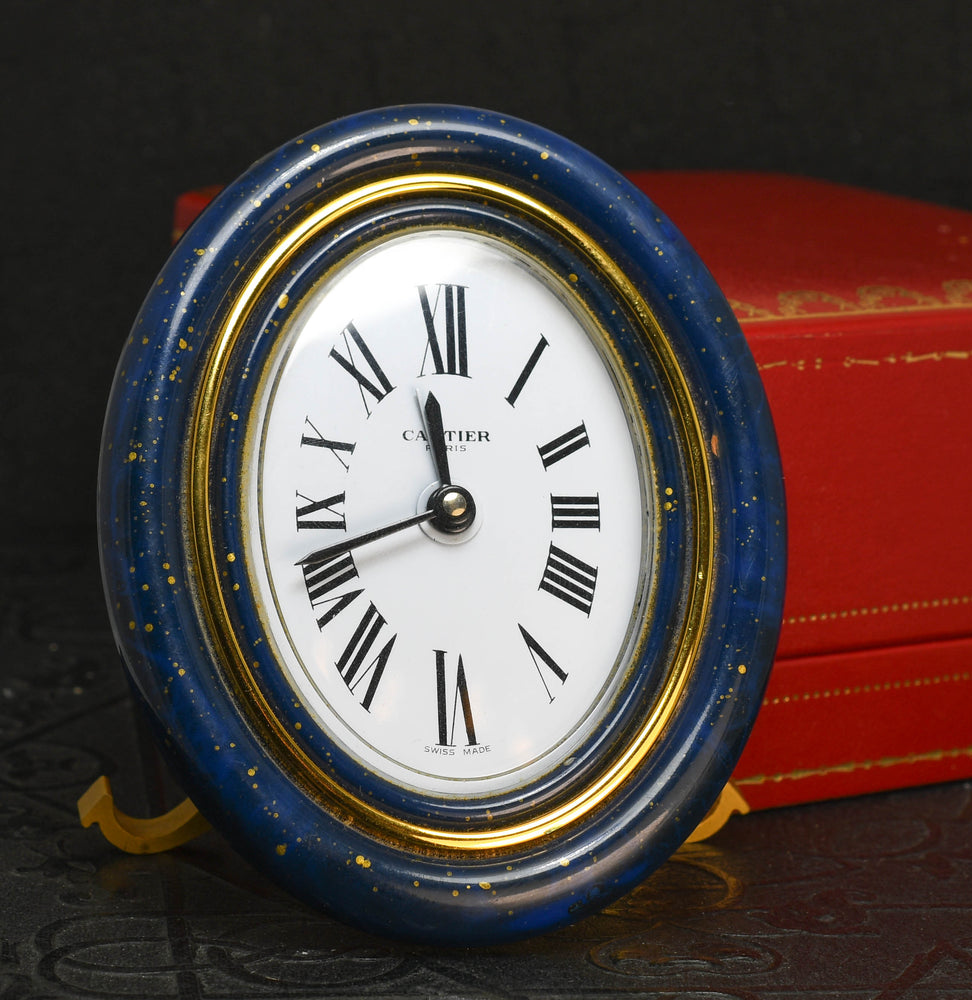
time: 11:41
